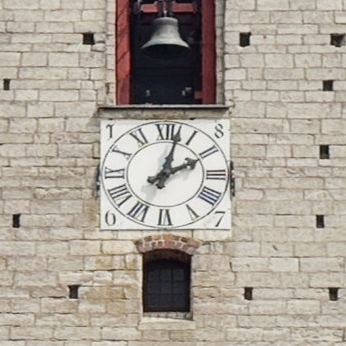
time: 2:02
